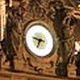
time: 9:34
